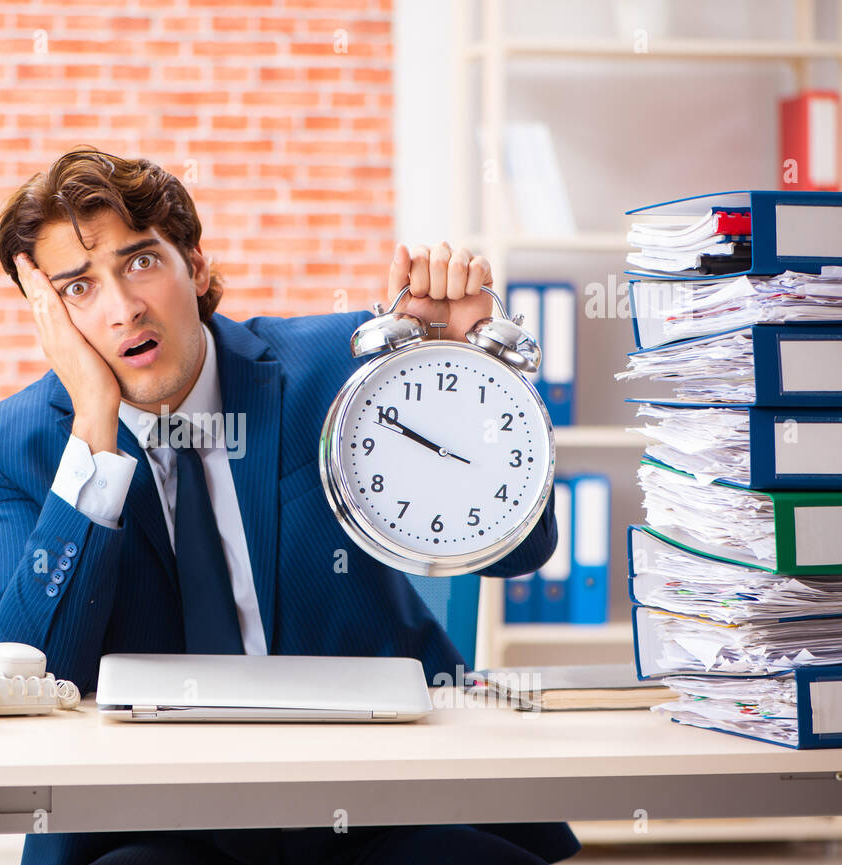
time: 9:49
